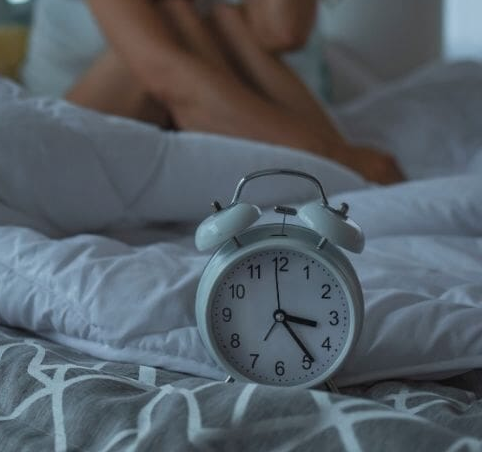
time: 3:23
